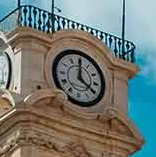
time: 4:00
